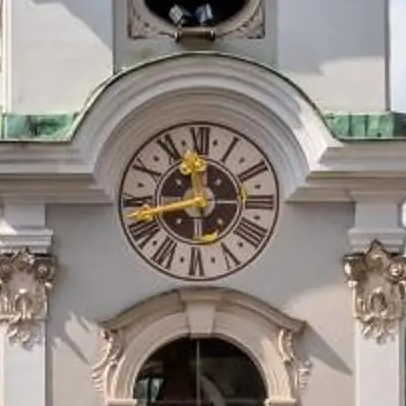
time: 11:42
